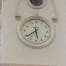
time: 5:38
